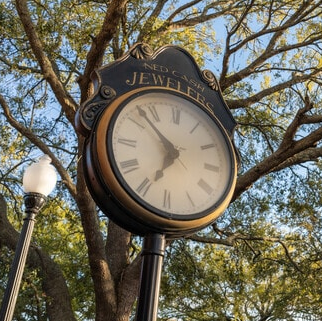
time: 6:52
